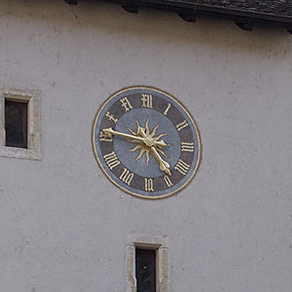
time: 4:46
